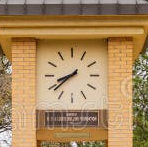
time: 8:38
